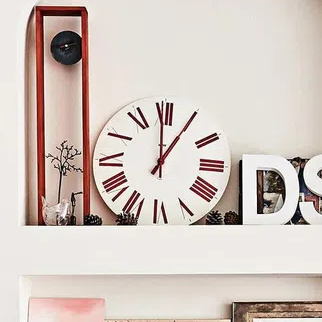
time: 12:59
